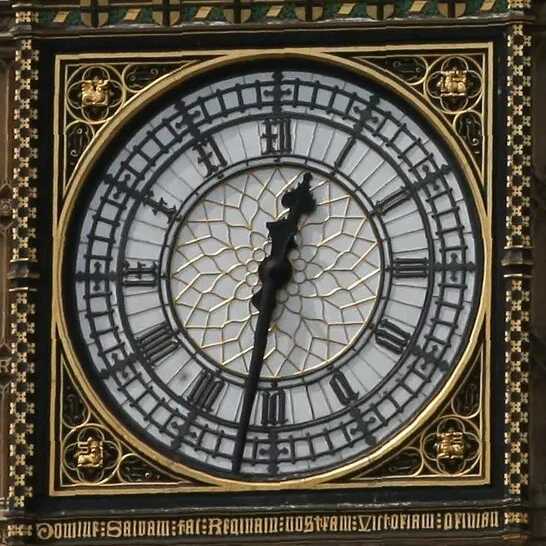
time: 12:31
